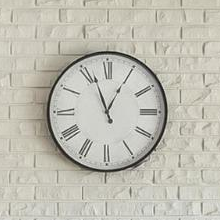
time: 12:56
